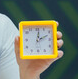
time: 12:11
